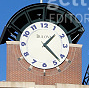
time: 1:22
